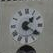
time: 1:20
